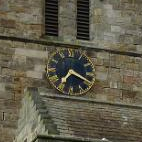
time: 7:19
